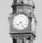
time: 7:25
